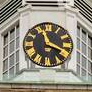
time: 11:18
